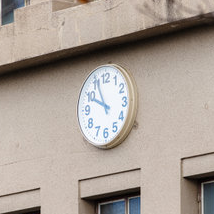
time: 9:55
